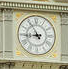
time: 8:54
